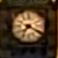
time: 7:19
